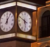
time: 5:49
